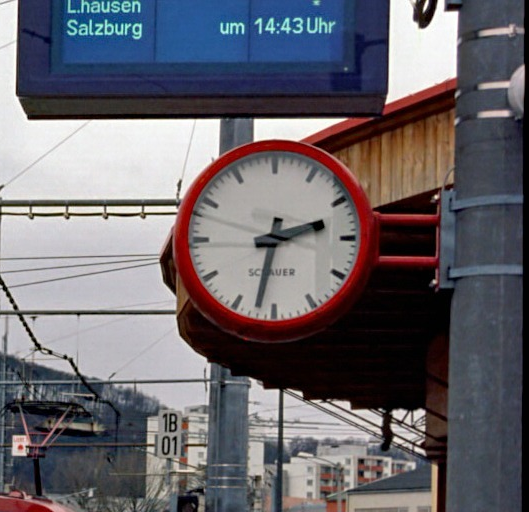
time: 2:32
